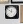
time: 11:51
